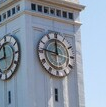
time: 11:46
